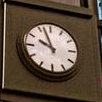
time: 9:56
